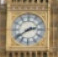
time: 2:39
